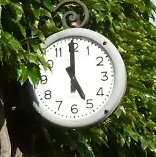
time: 4:59
